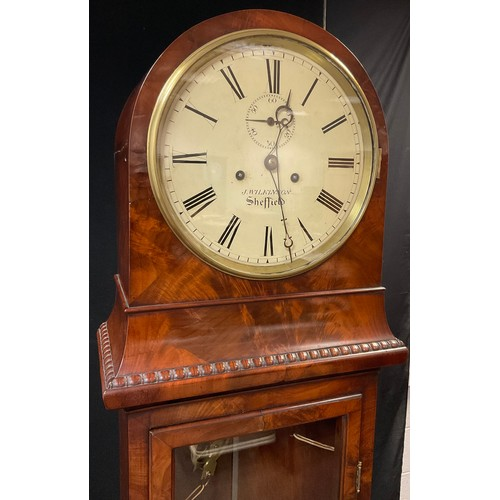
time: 12:27
